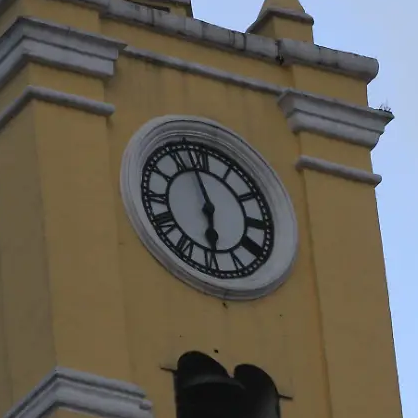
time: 5:57
